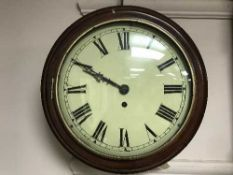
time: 9:49
